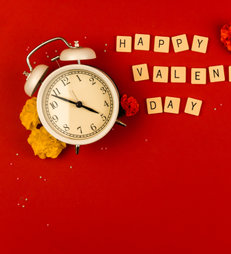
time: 3:48
